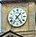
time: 1:23
